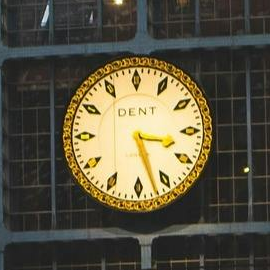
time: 3:27
